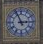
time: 2:56
